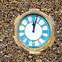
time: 12:02
